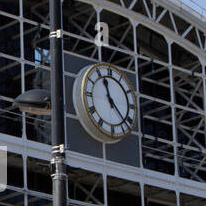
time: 11:22
